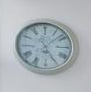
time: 5:07
